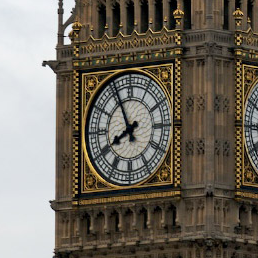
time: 7:55
